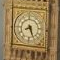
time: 8:26
